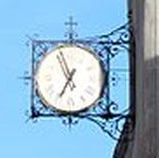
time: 6:56
